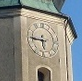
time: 5:45
